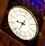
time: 9:37
